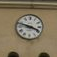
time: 3:47
